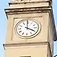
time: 4:00
